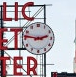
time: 2:46
